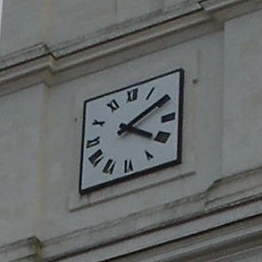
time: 4:09
